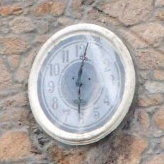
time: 6:02
